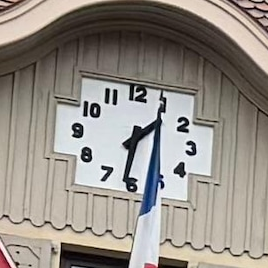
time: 1:31
